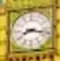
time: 8:17
